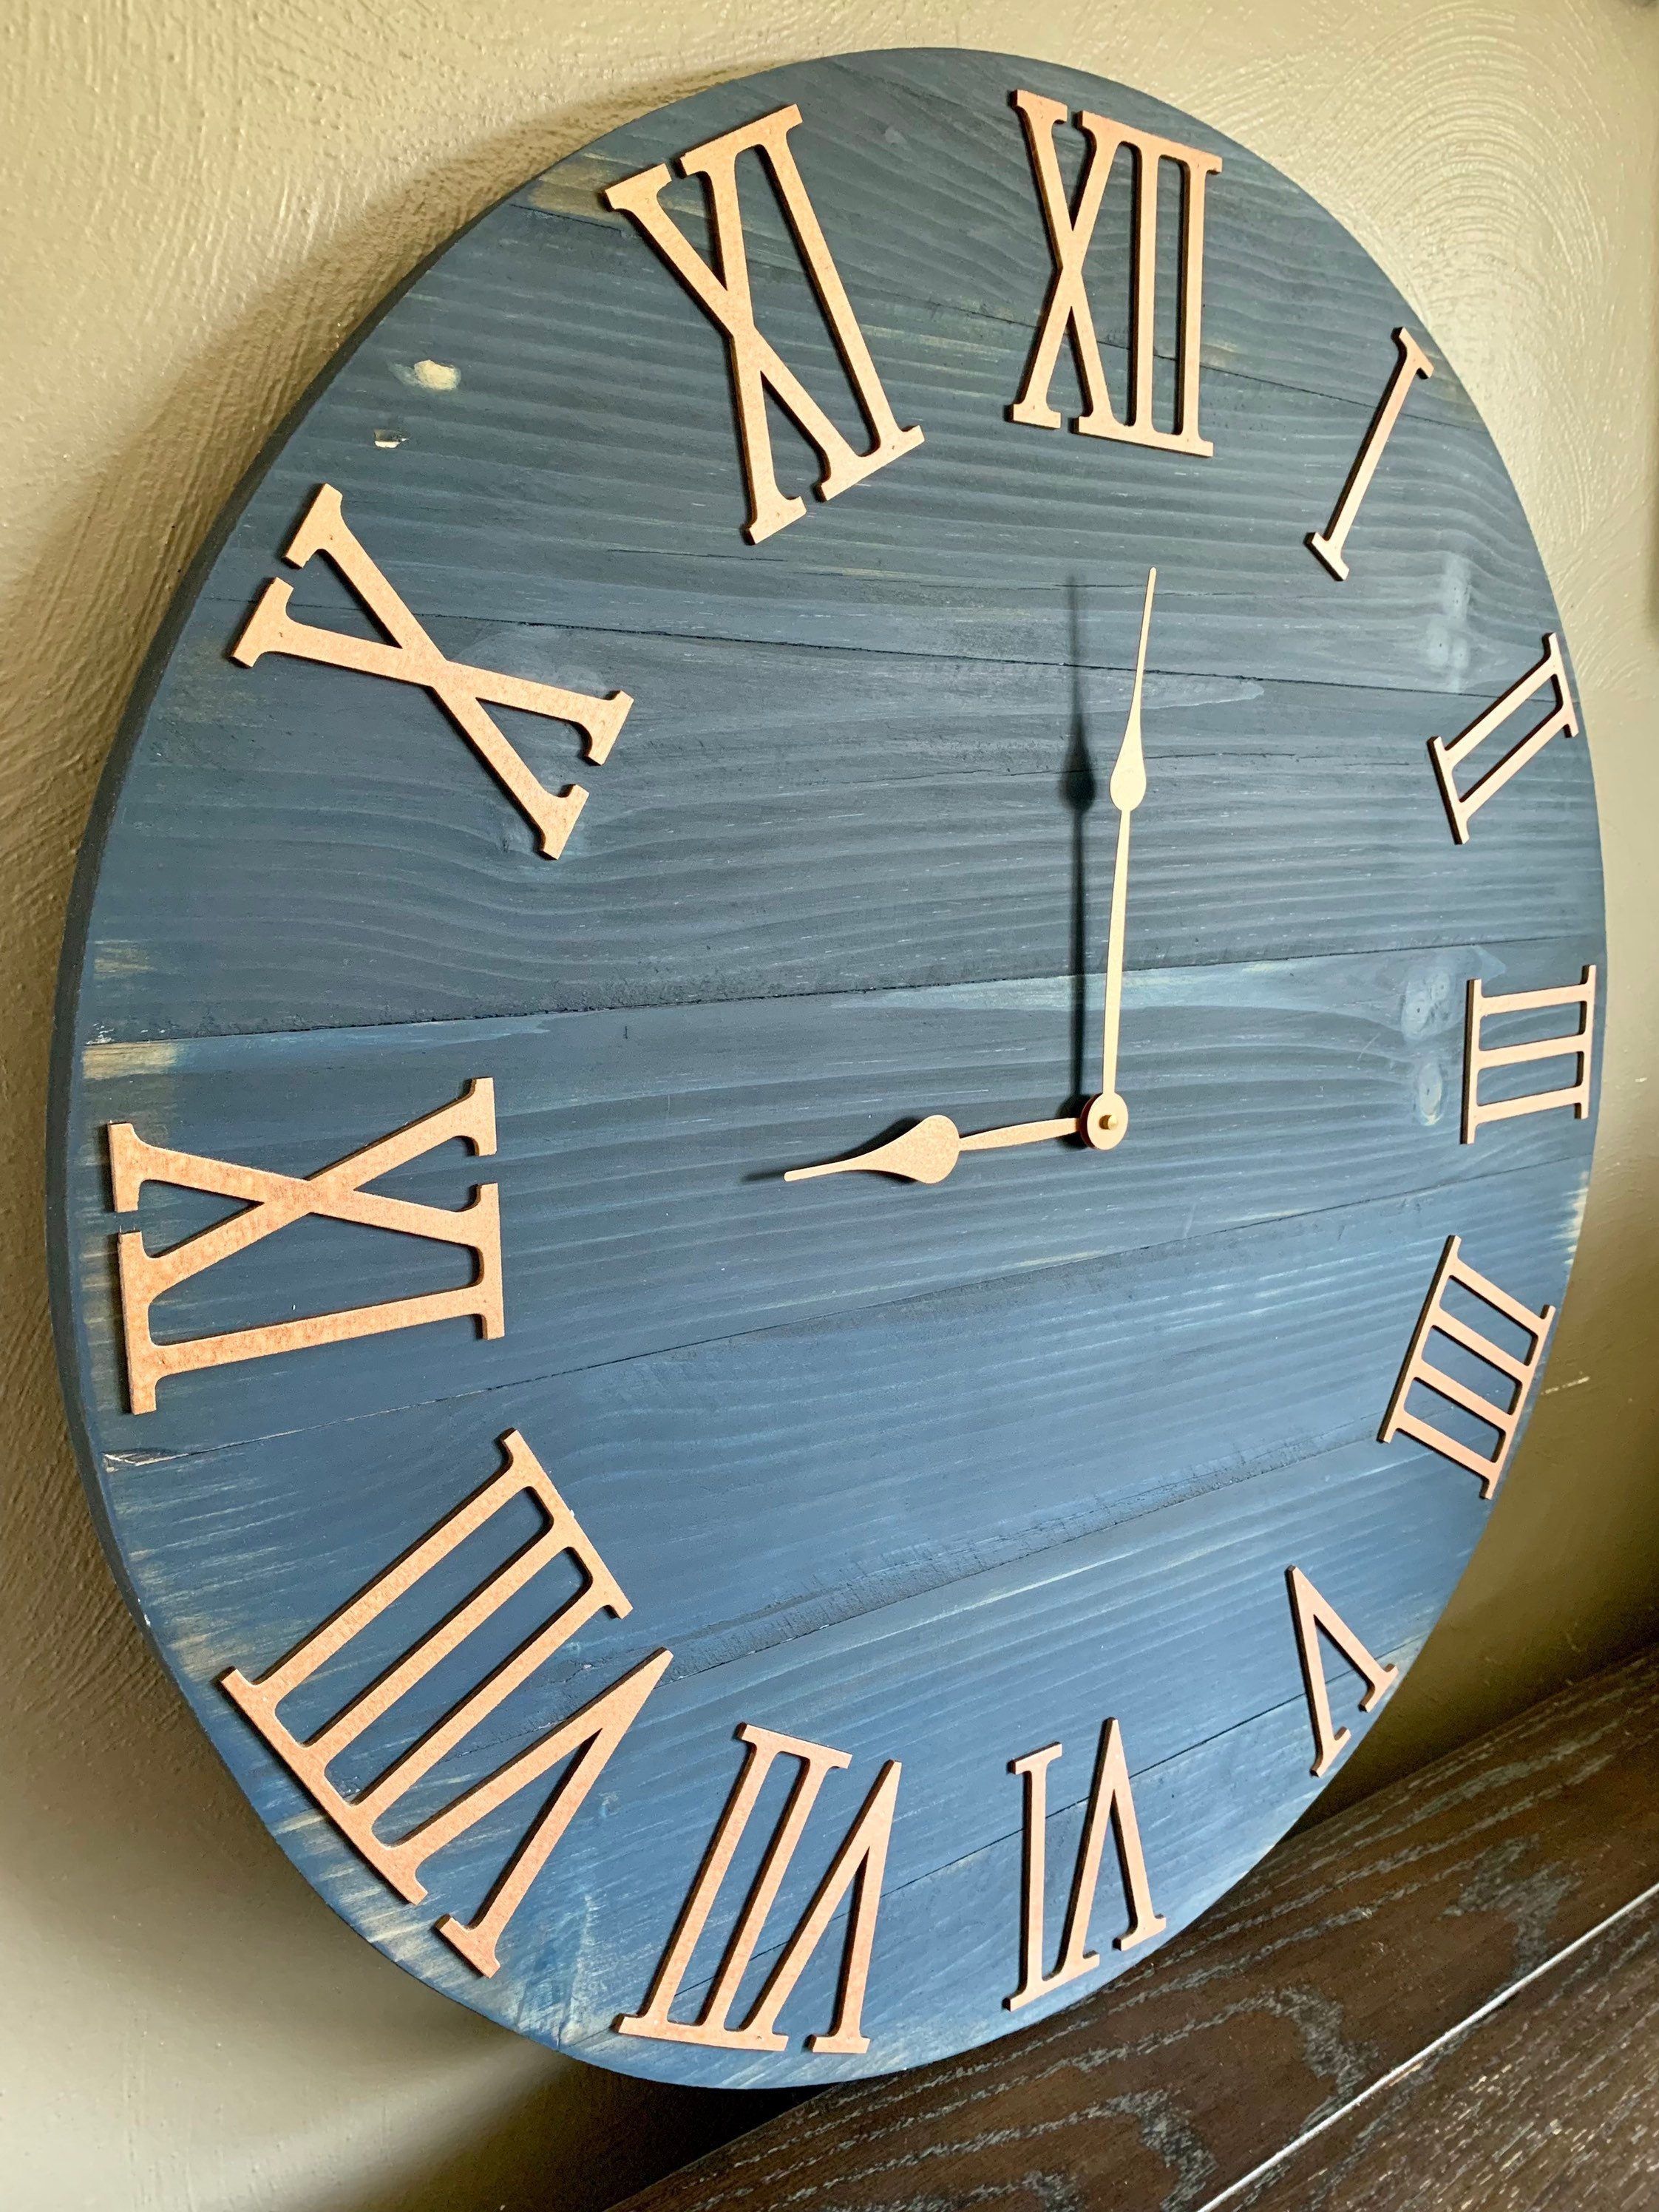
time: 9:00
